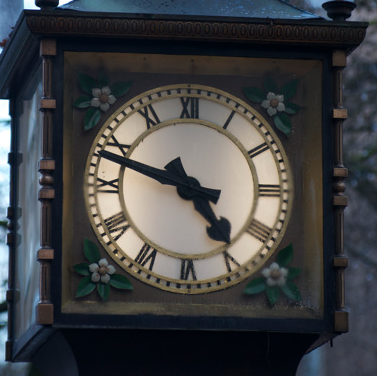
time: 4:48
